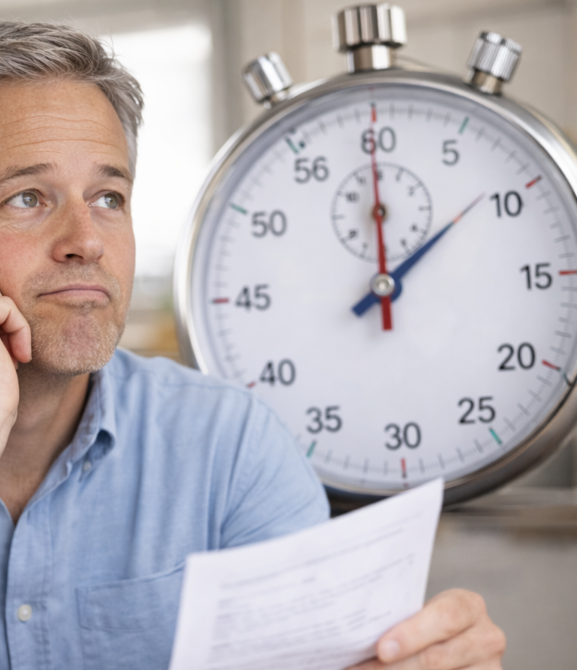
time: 1:59
